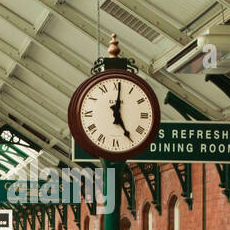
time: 5:00
